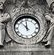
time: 11:52
